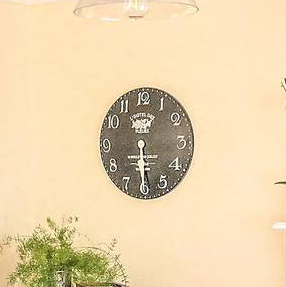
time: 5:29
